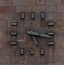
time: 5:16
